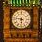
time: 5:46
